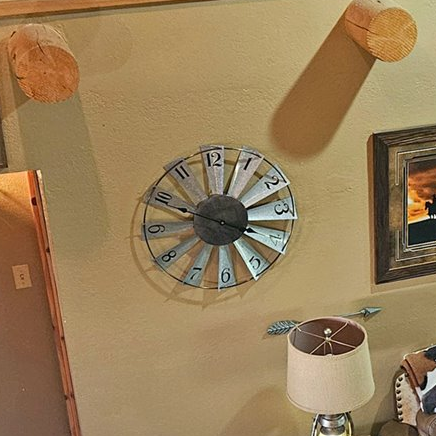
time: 3:48
